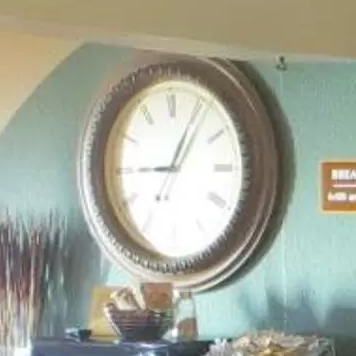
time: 9:04
